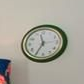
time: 11:35
